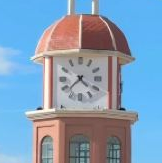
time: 4:37
